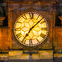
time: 7:07
